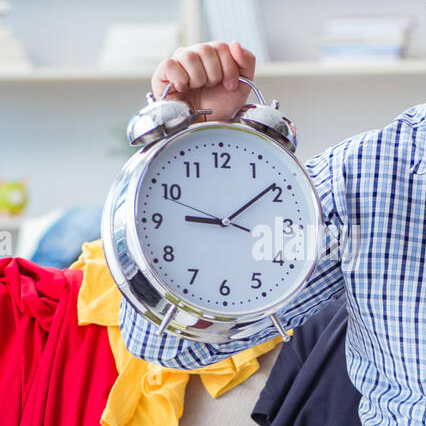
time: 9:09
